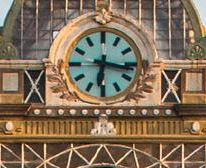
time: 6:17
